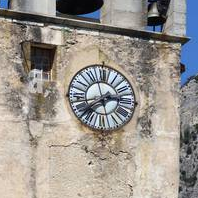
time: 2:38
